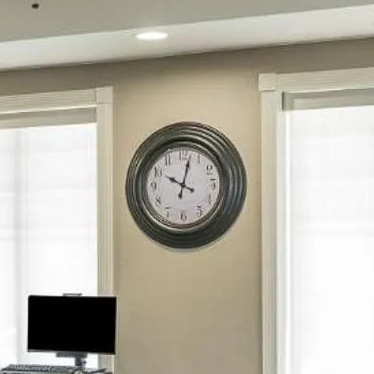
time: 10:02
